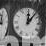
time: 12:07
